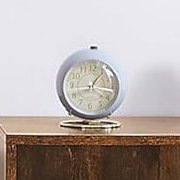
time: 1:16
